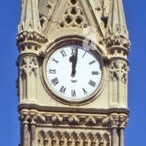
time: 12:01
